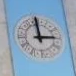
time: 2:59
